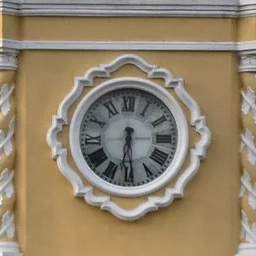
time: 6:29
